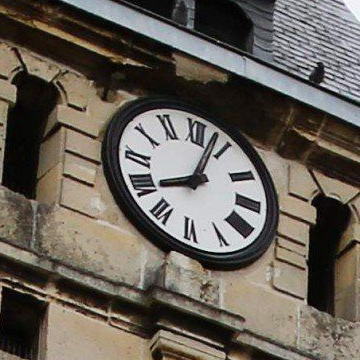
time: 8:03
